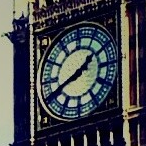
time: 1:41
